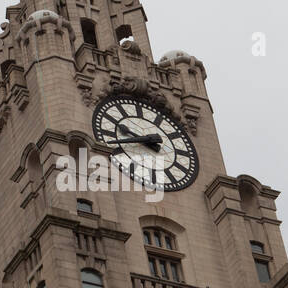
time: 9:42
